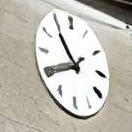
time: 10:40
